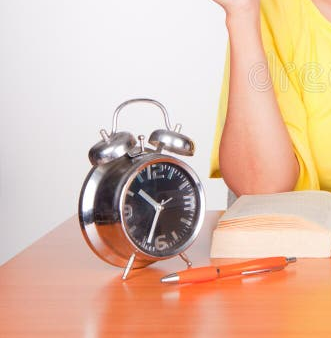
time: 10:33
